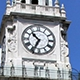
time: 10:34
